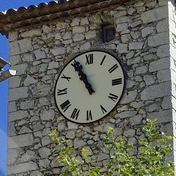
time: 10:55
